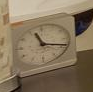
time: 11:18
